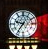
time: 9:36
